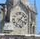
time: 4:07
